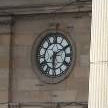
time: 6:10
